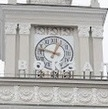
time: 12:47
